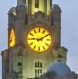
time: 9:10
